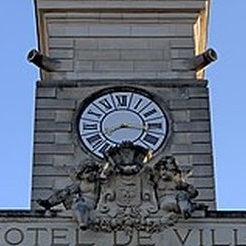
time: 8:16
